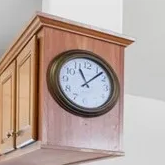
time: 11:07
